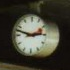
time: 2:48
